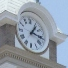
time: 1:16
